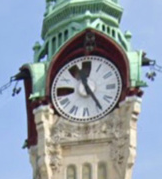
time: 11:24
